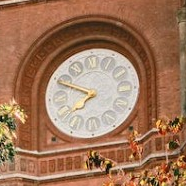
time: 7:49
